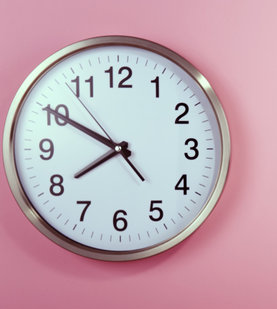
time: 7:49
